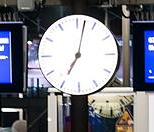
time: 7:02
